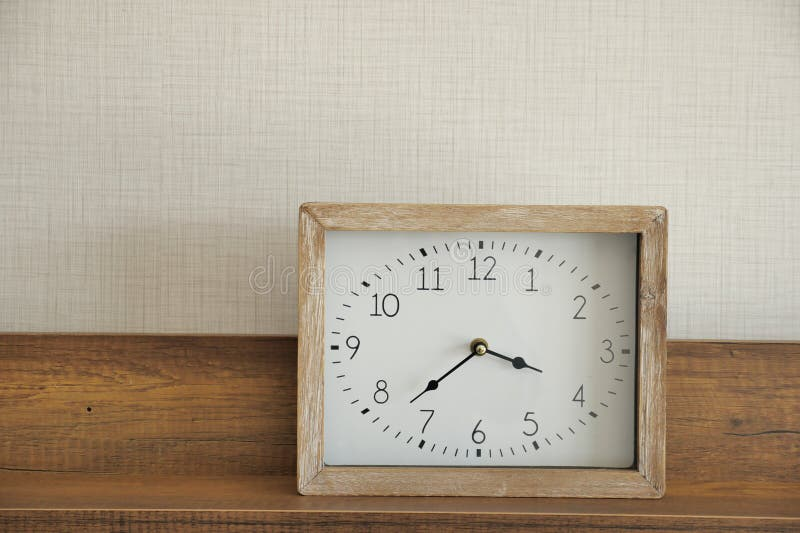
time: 3:37
